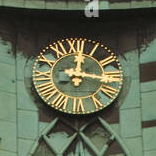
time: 12:16
